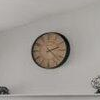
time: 2:22
